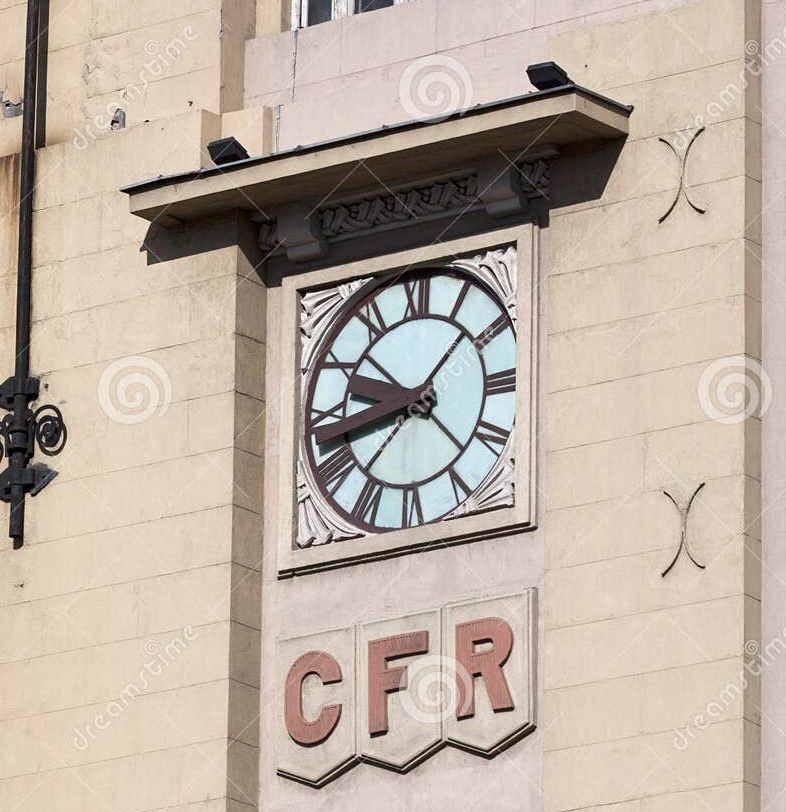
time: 9:42
